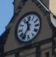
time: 11:35
